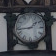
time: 1:43
